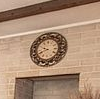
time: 9:41
